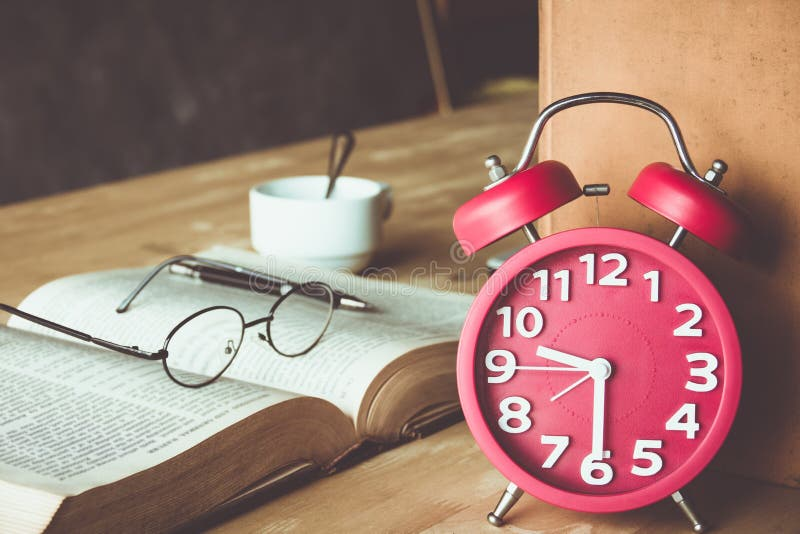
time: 9:29
